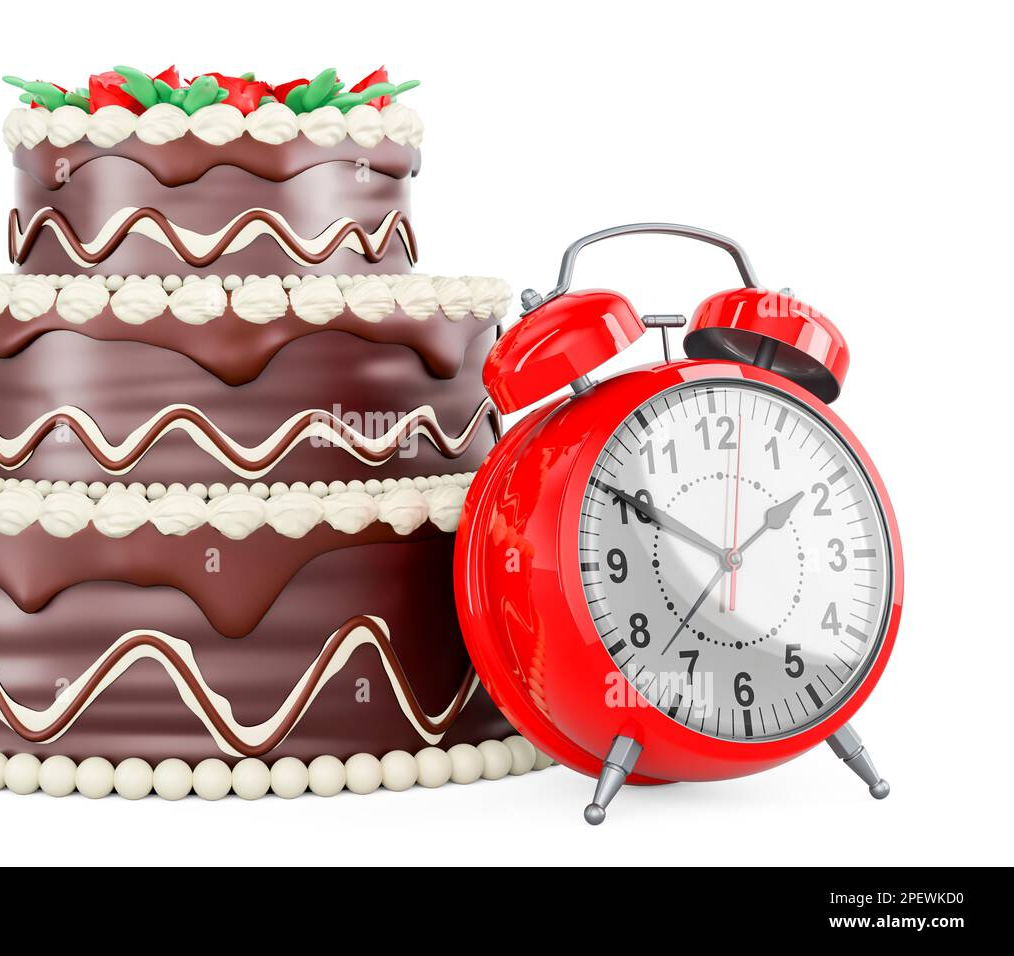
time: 1:50
